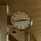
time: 2:42
